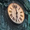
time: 5:57
